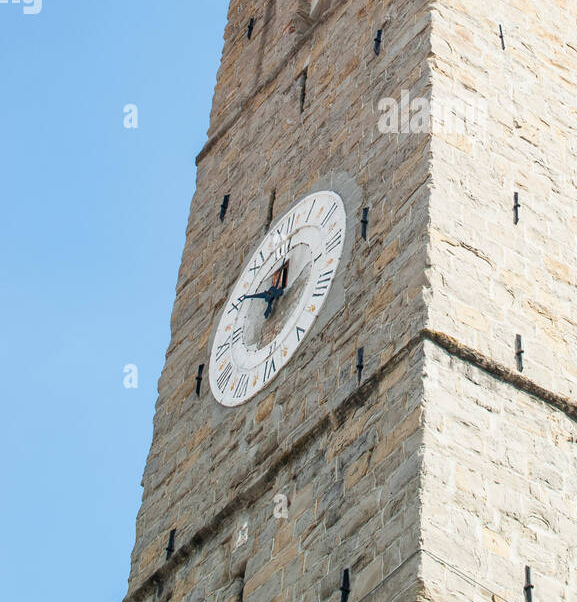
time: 11:46
